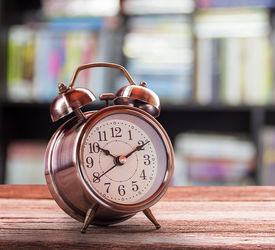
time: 10:10
